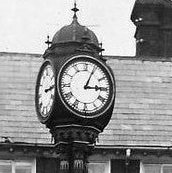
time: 3:04
